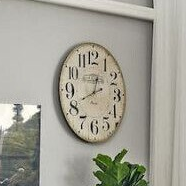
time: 12:41
